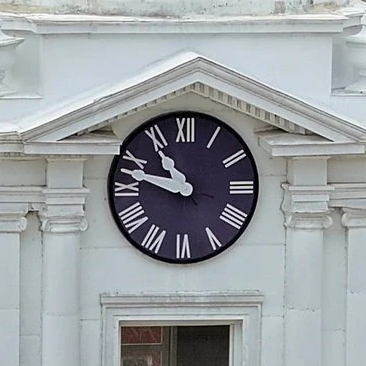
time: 10:47
